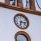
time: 6:15
